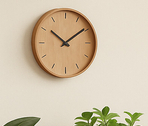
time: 10:09
